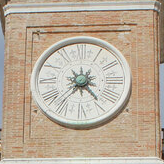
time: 4:37
